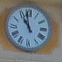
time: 10:58
